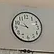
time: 10:48
